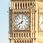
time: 8:01
